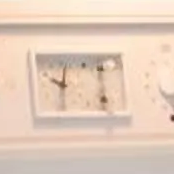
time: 10:00
